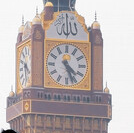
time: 4:26
